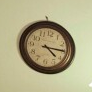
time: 4:14
